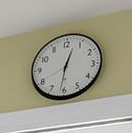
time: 12:31
